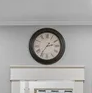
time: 2:36
